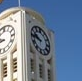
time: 9:45
